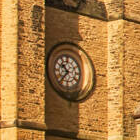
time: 10:37
